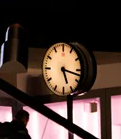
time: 5:17
